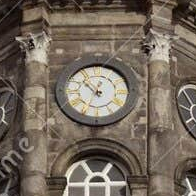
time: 12:52
